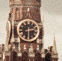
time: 2:29
